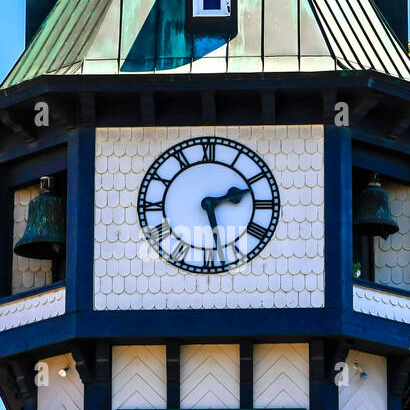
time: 2:27
